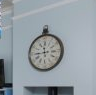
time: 11:44
